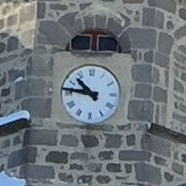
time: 10:46
